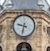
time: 9:32
